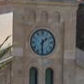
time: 1:30
